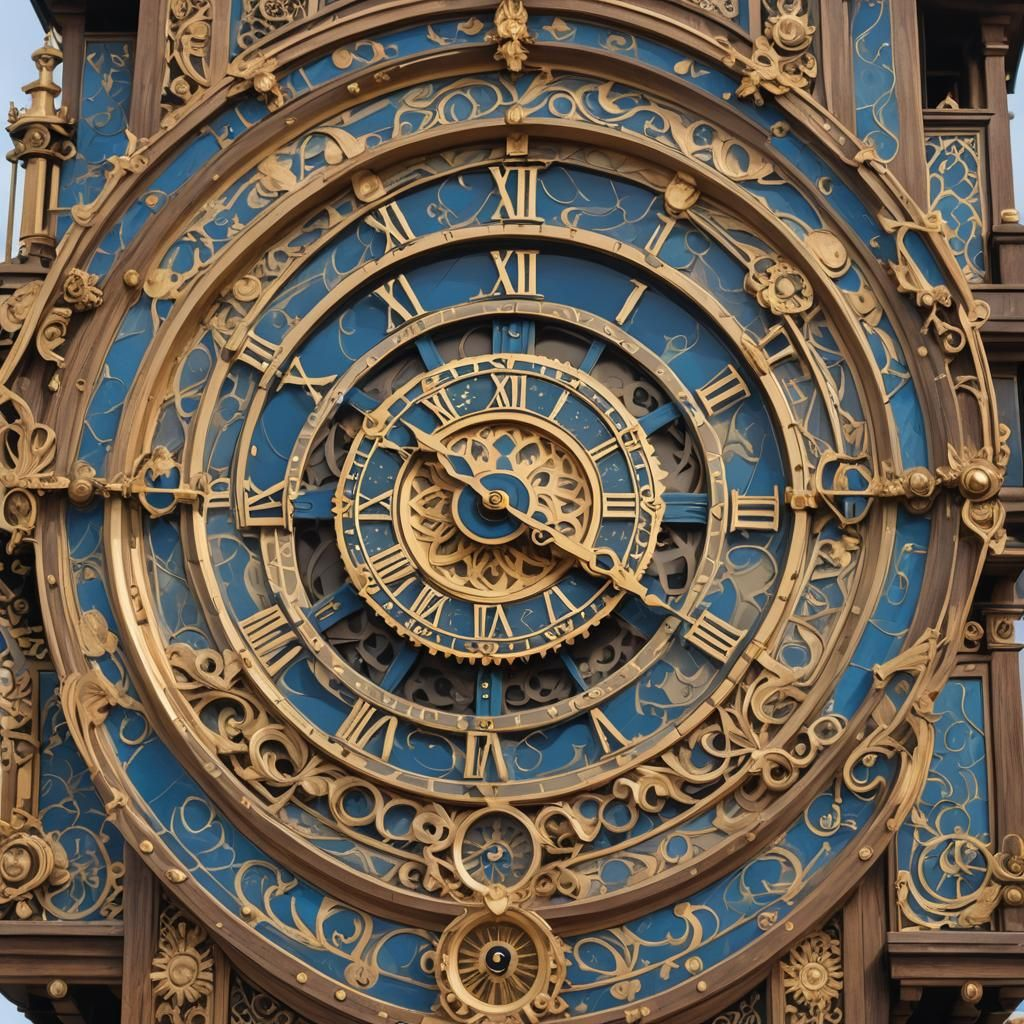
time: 10:19
